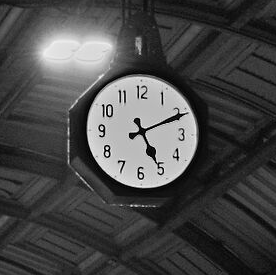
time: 5:10
